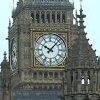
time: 10:07
